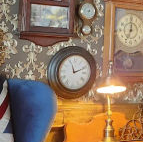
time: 11:11
